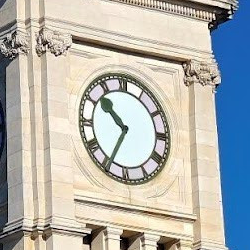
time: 10:34
